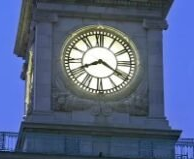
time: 8:20
